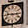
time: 9:15
